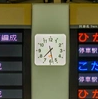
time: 7:28
